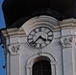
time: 4:37
